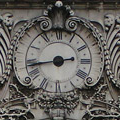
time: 2:43
